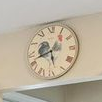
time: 5:41
